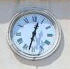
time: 12:32
